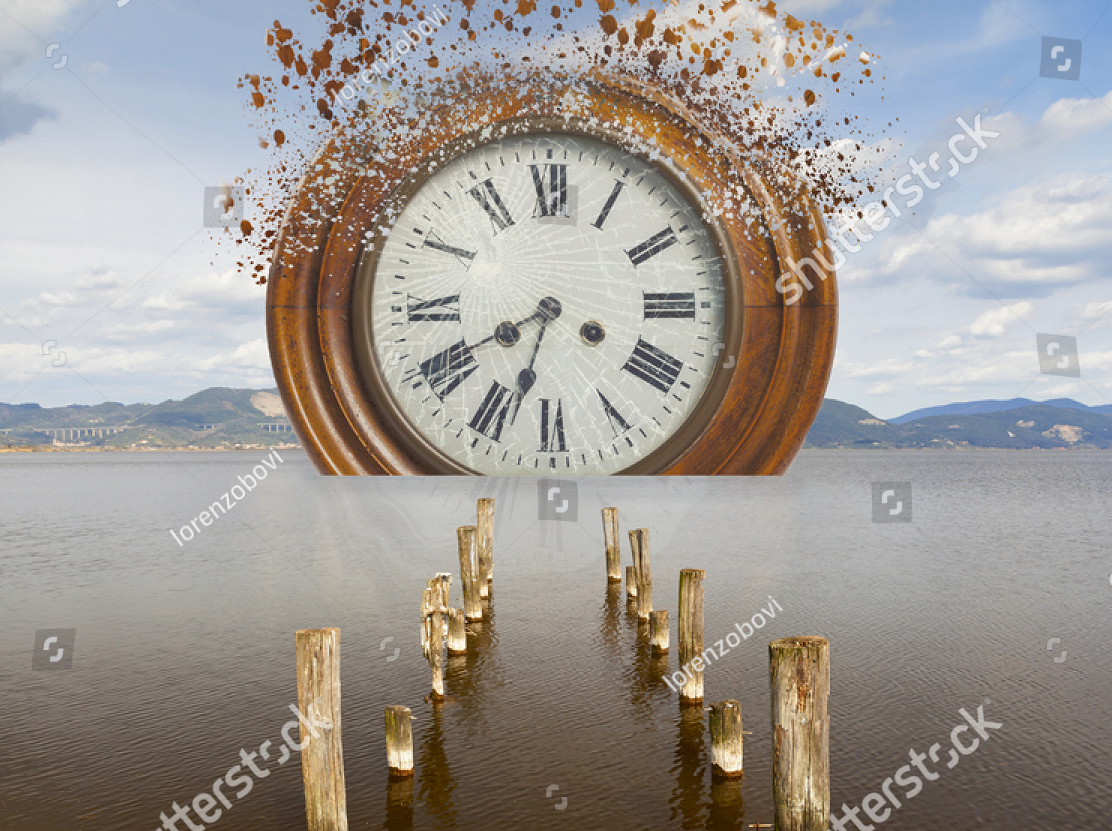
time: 6:40
